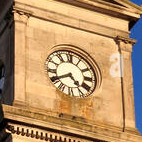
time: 4:40
